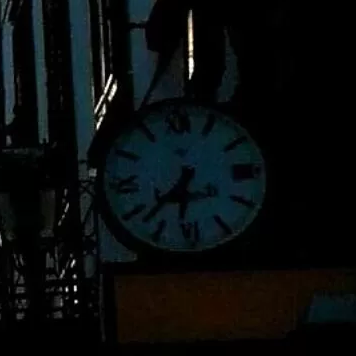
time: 6:37
